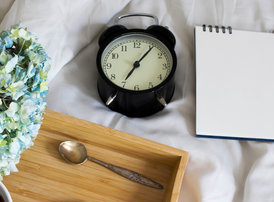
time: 7:06
